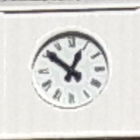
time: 12:51
